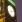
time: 8:12
